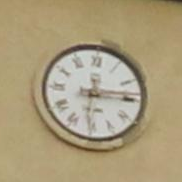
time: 6:14
